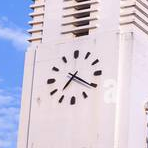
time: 7:20
